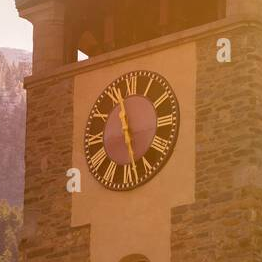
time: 11:28
